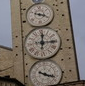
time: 12:14
